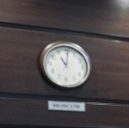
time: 11:01
